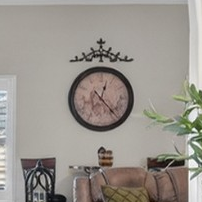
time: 12:23
